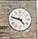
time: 4:47
